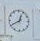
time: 12:40
